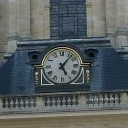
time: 5:06
